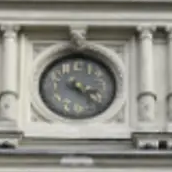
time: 3:22
